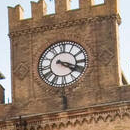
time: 4:18
